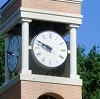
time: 9:49
